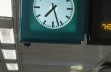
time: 7:27
